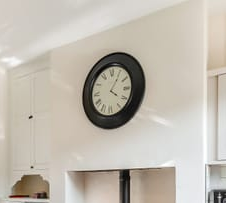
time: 4:04
